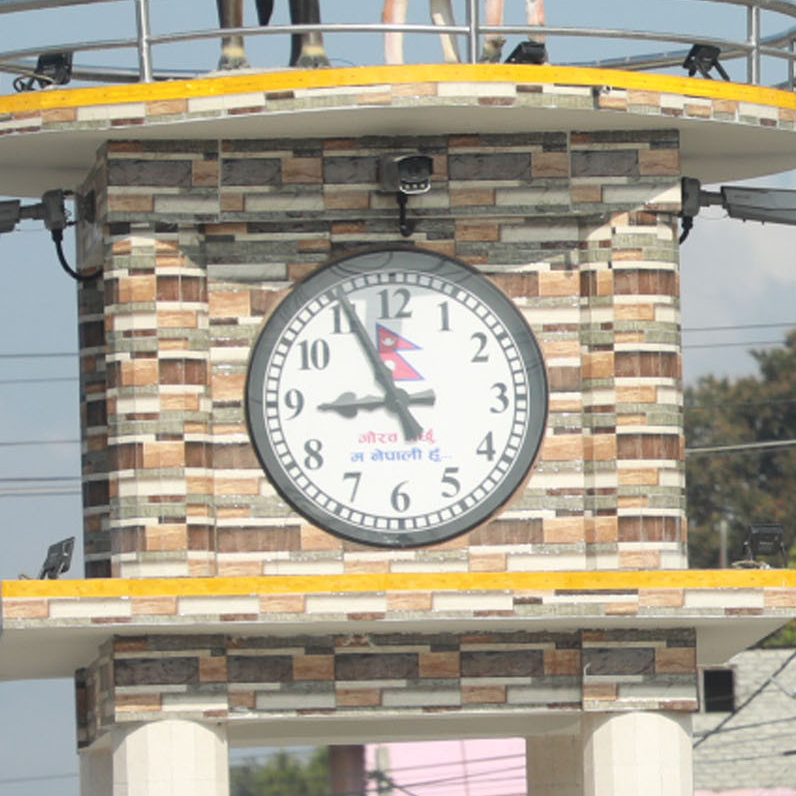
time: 8:55
